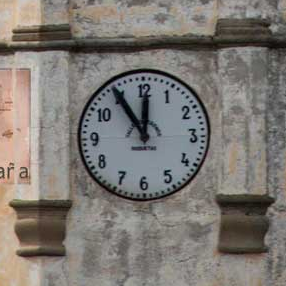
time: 11:54
